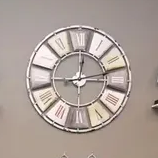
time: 12:13
